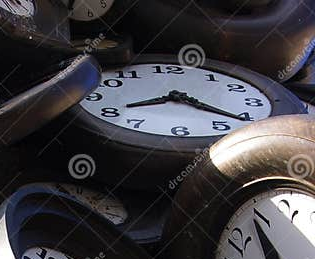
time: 8:21
